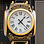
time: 1:22
